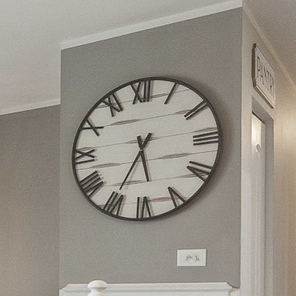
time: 5:35
